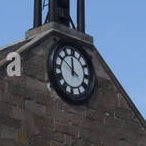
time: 11:50
